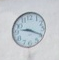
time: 9:19
